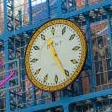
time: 11:25
